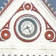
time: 8:24
